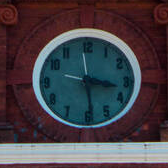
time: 3:29
